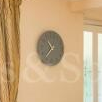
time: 10:36
